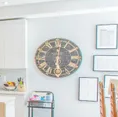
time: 6:00
